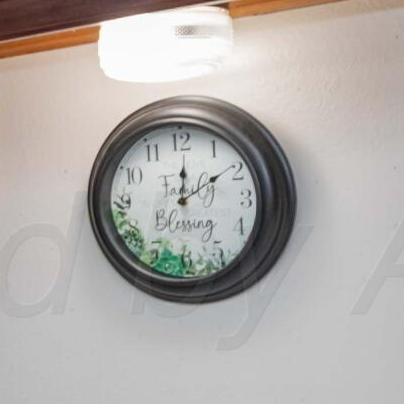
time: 12:09
